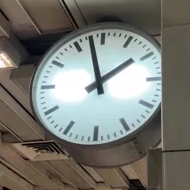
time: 1:57
